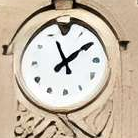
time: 11:09
